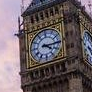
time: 4:14
